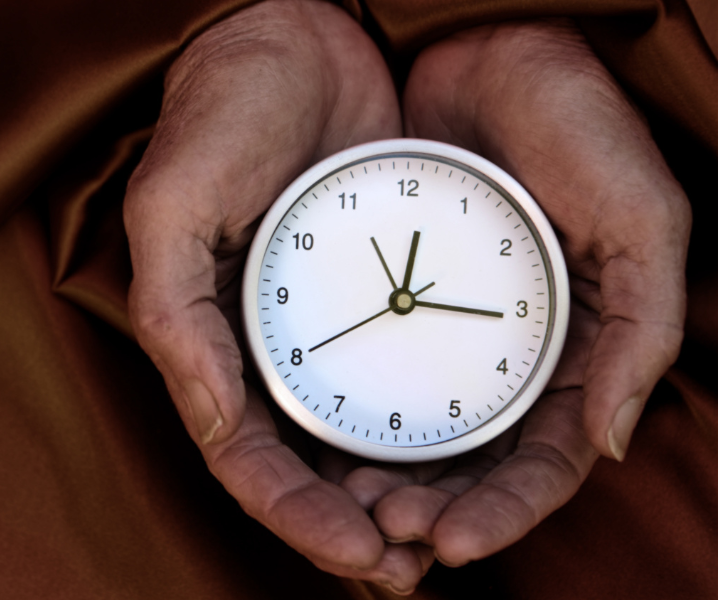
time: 12:15
